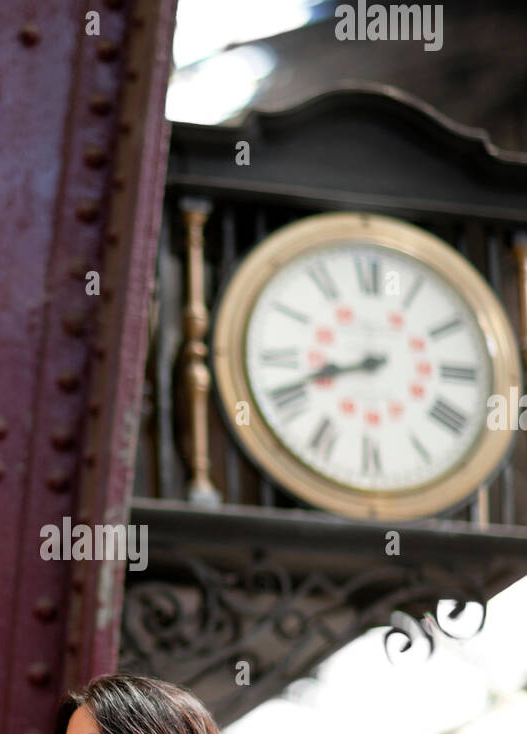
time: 8:41
